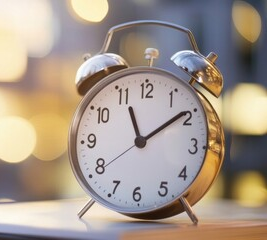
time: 11:09
